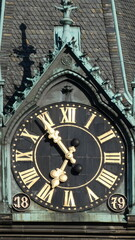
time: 6:54
